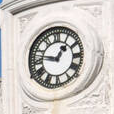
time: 12:47
